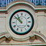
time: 10:51
